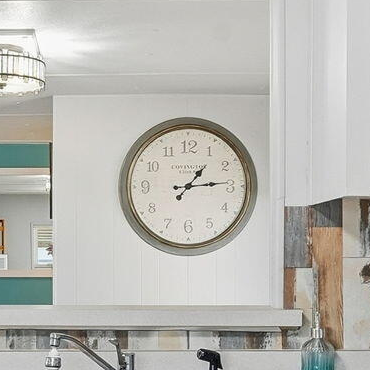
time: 1:13
